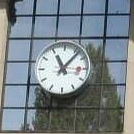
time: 11:06
